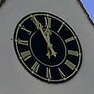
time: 11:55
